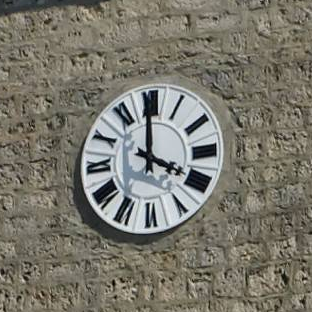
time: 3:59
